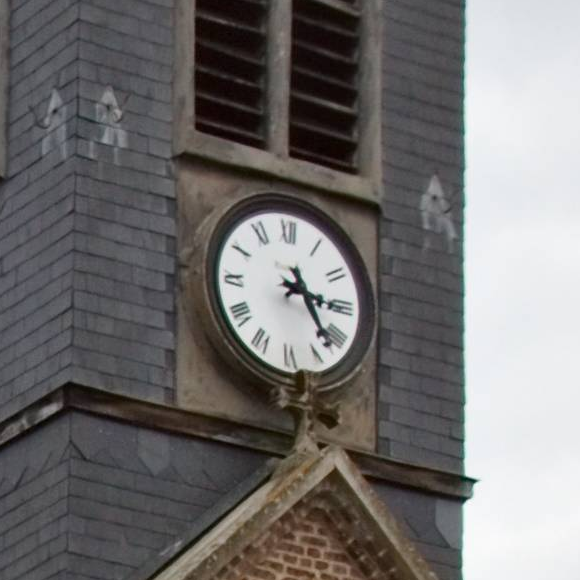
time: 3:22
